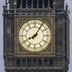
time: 8:05
